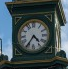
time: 4:35
